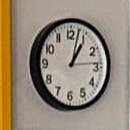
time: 1:02
